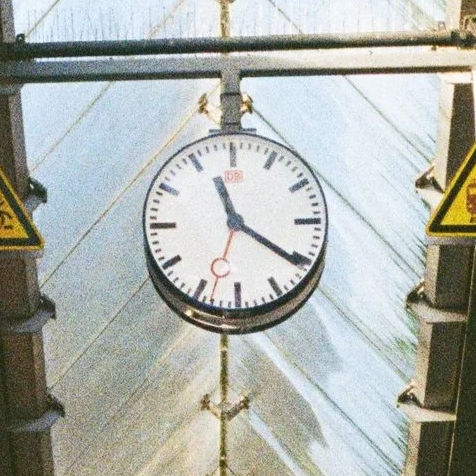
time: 11:20
